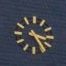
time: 3:24
